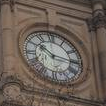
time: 10:15
